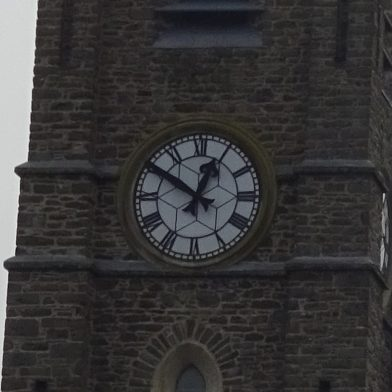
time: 12:50
